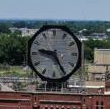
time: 9:25
